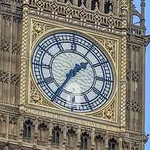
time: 1:35
